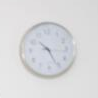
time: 10:25
